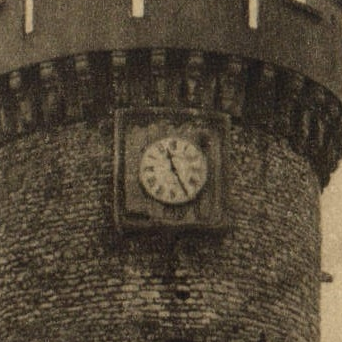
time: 11:24
